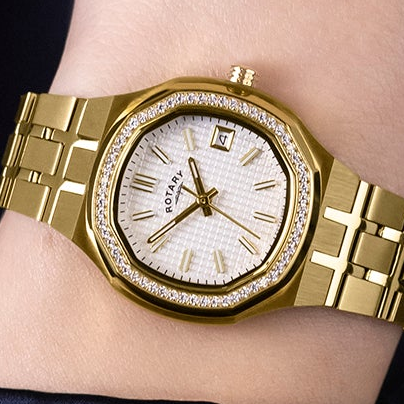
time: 10:36
